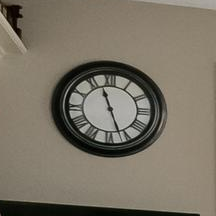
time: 11:26
